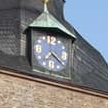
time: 4:21
